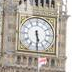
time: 5:29
